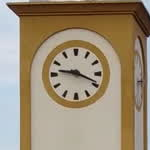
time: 9:18
